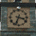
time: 3:33
